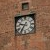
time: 9:36
